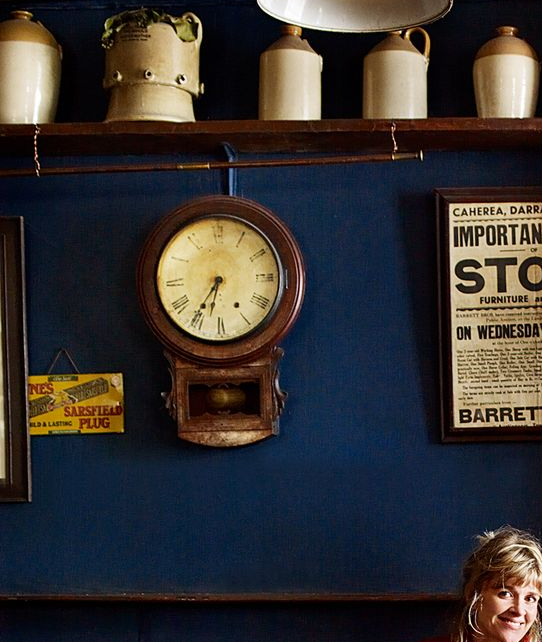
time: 6:35
